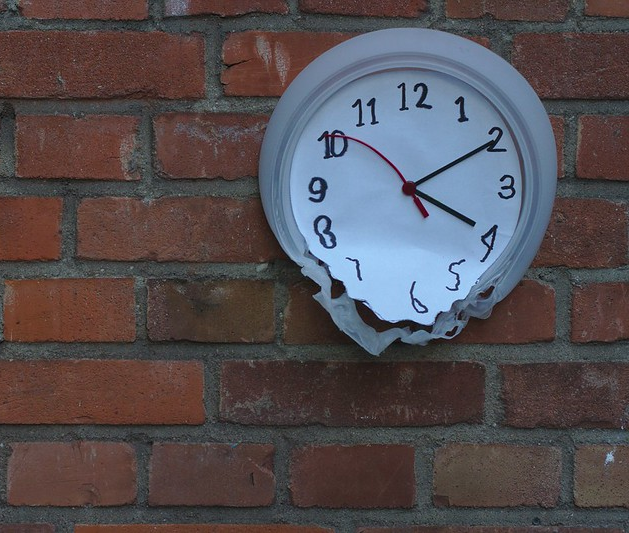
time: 4:10
